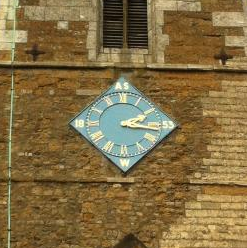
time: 2:16
